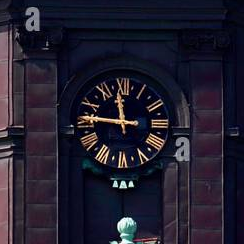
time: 11:46
